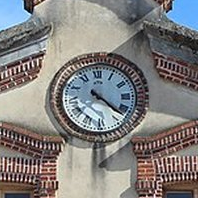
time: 4:22
